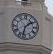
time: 1:32
